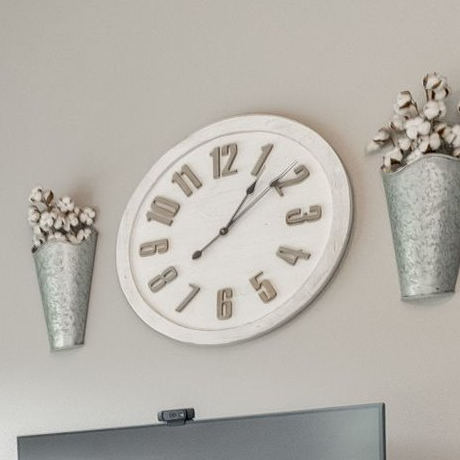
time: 1:09
